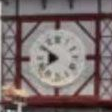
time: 7:51
